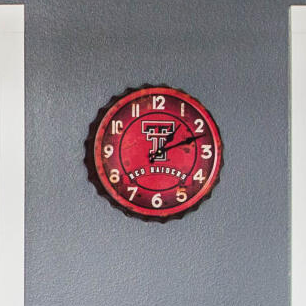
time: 1:11
